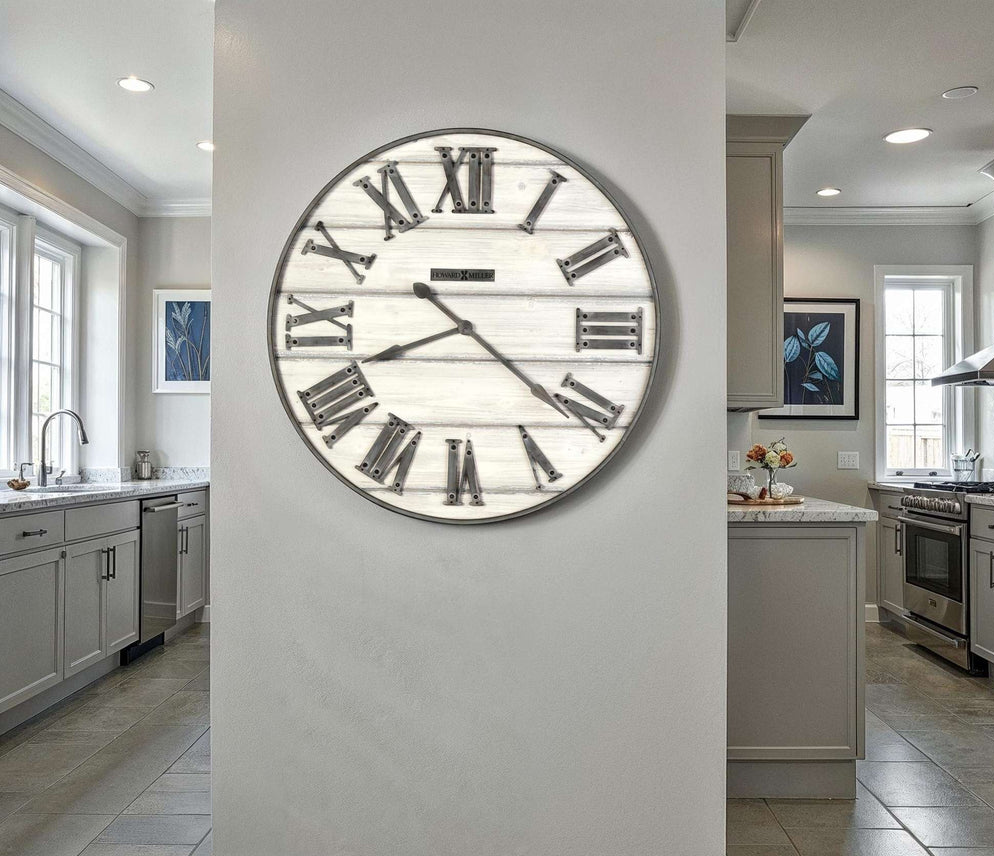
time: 8:21
